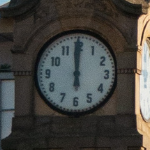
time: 5:59
